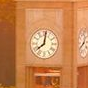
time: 8:01
